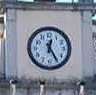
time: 12:24
